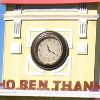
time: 11:20
